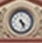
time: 4:26
